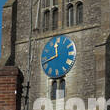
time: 11:41
